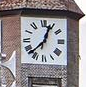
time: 12:37
